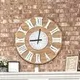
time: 9:01
